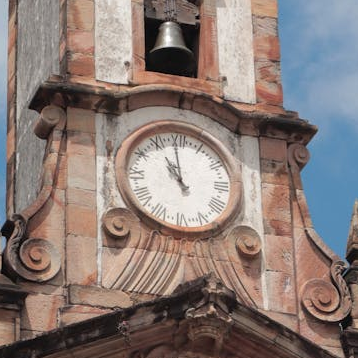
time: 10:59
